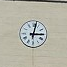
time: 3:02
